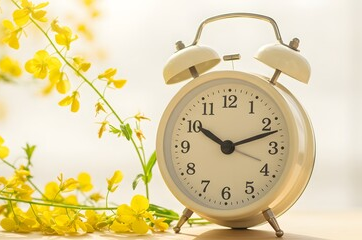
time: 10:11
